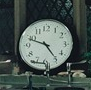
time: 4:48
